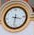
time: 3:32
